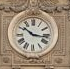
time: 10:16
